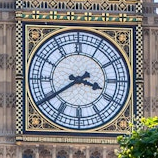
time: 3:39
